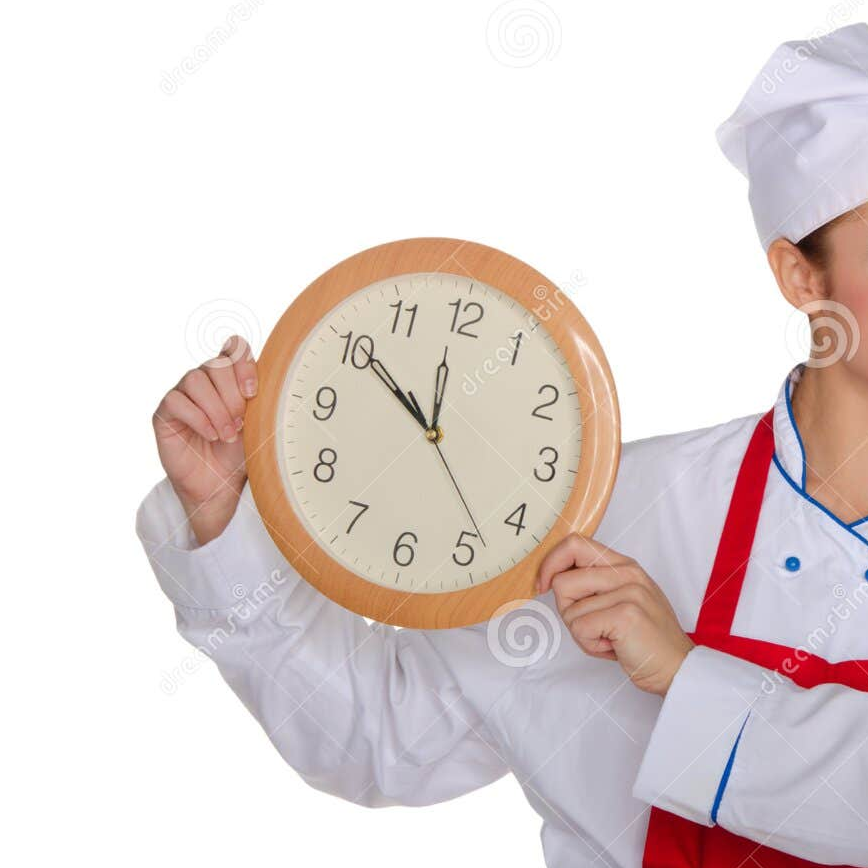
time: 11:50
